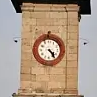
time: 4:23
